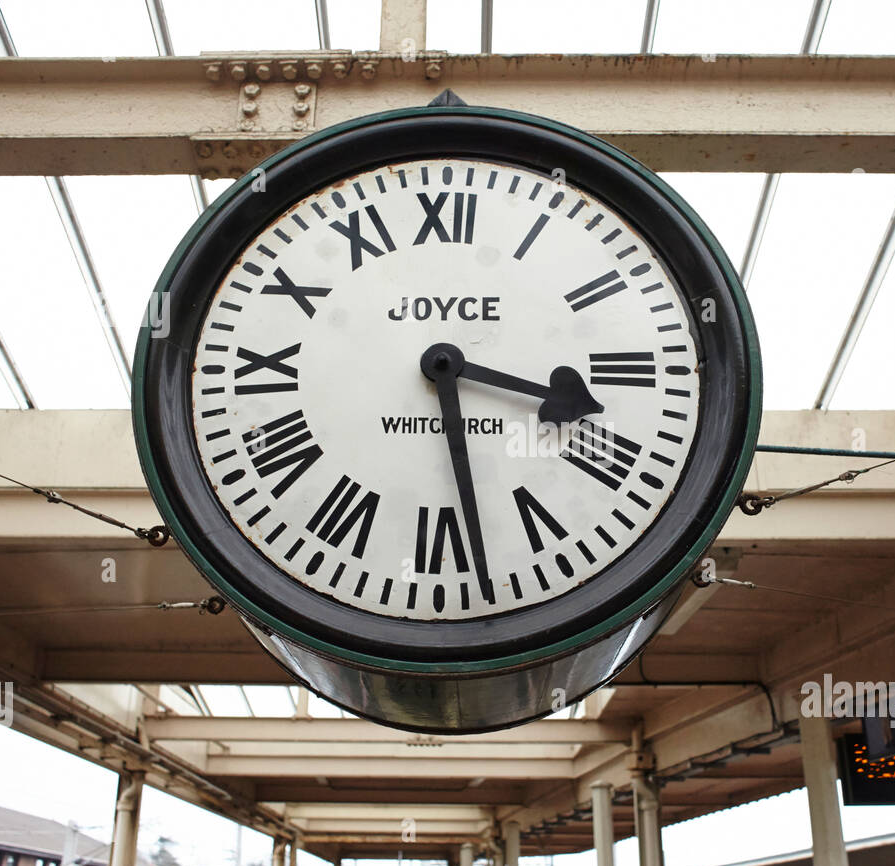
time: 3:28
